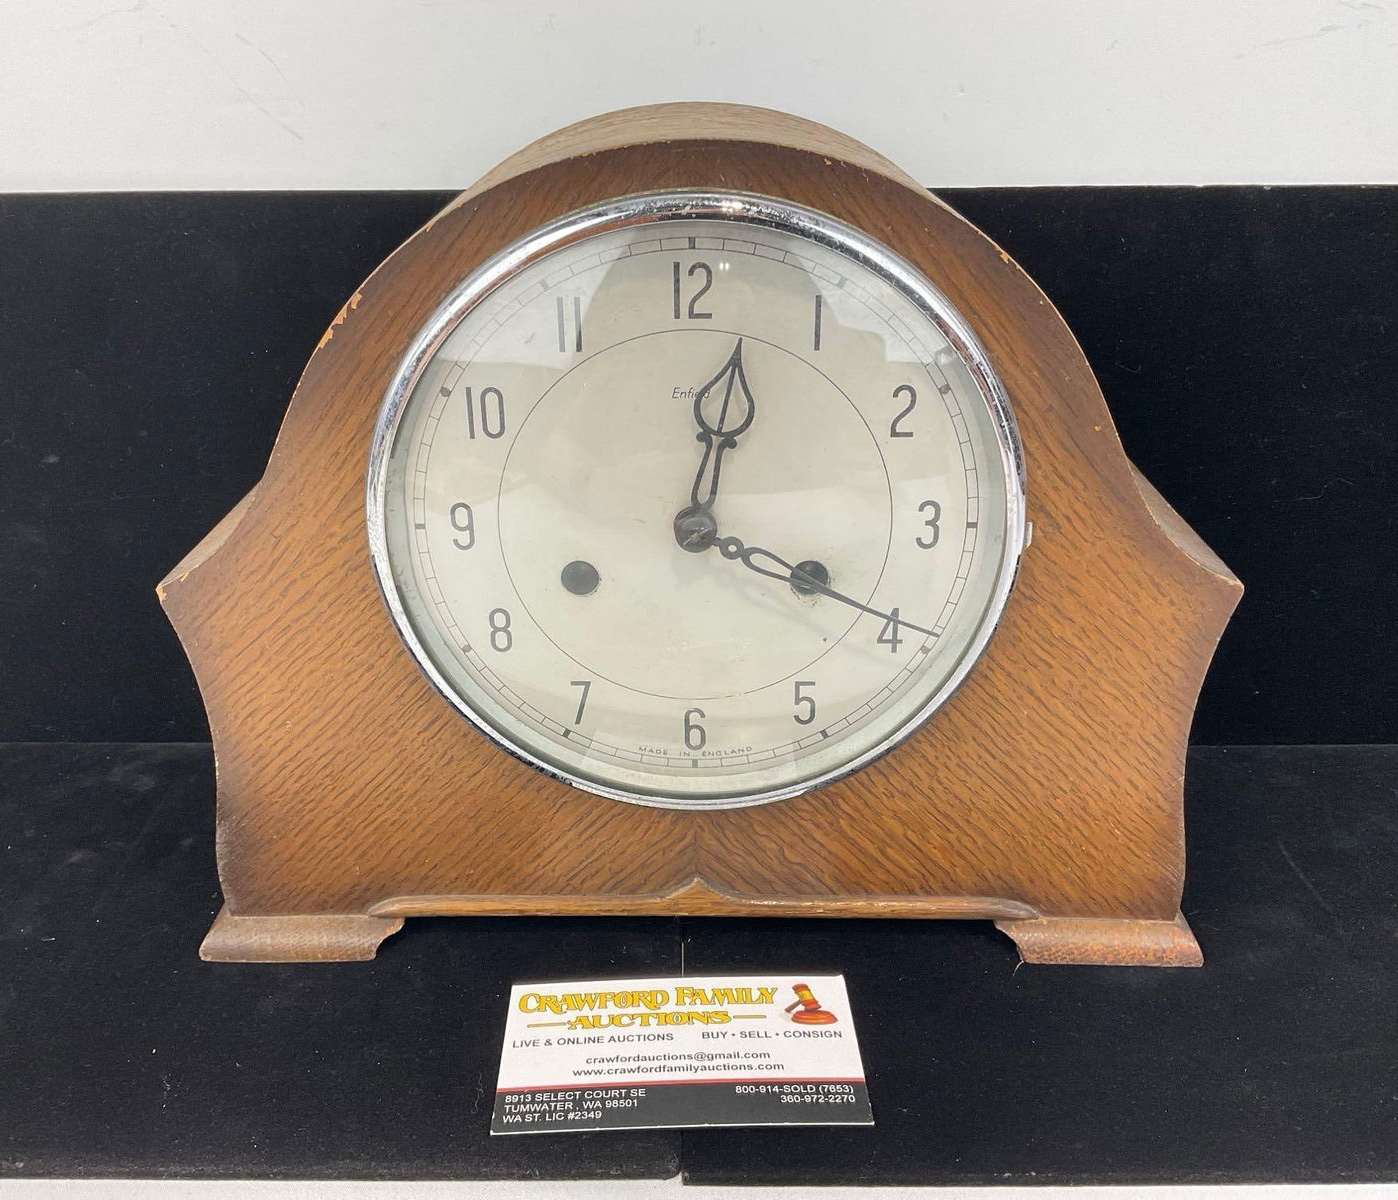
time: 12:19
